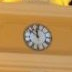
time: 11:51
